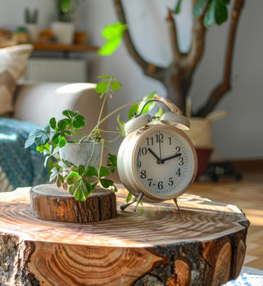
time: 10:12
